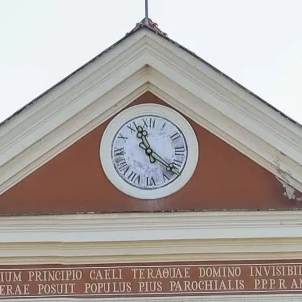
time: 11:21
